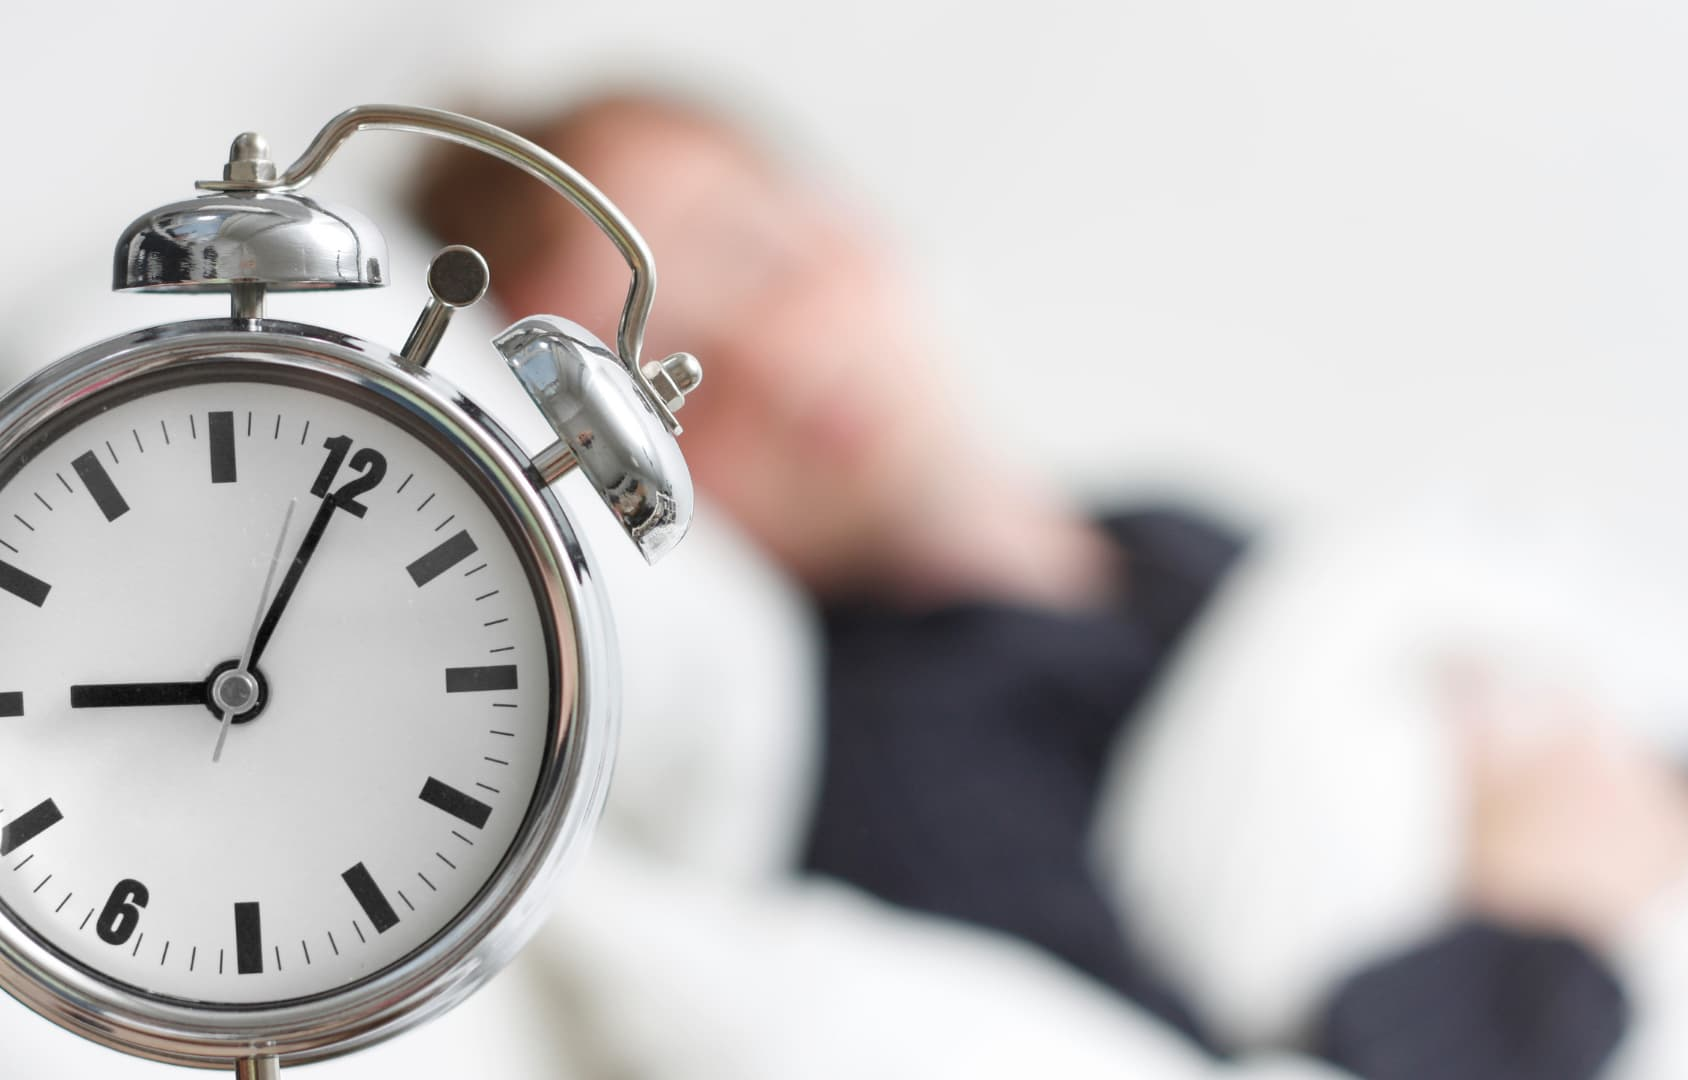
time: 9:05
